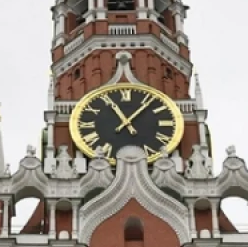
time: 11:06
